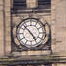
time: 4:52
